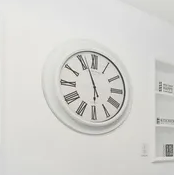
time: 5:56
